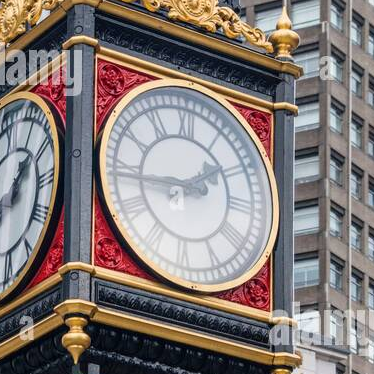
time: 1:43
